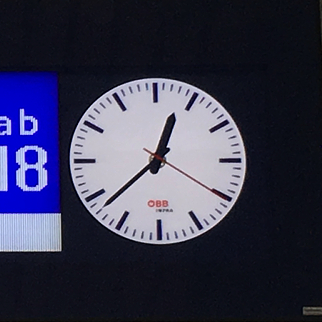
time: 12:38
